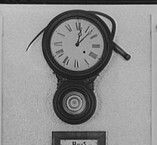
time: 12:07
